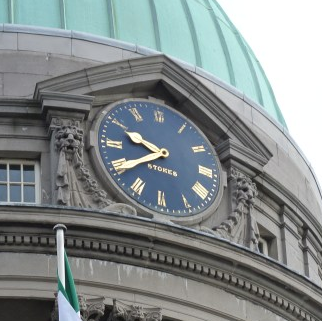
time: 9:40
